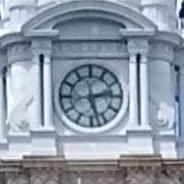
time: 2:27
